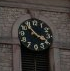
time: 3:52
